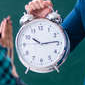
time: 10:14
